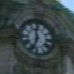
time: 11:33
